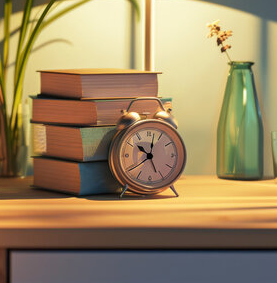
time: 10:01
